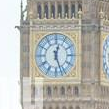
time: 12:26
